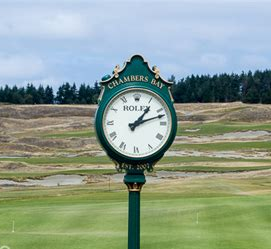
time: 1:11
